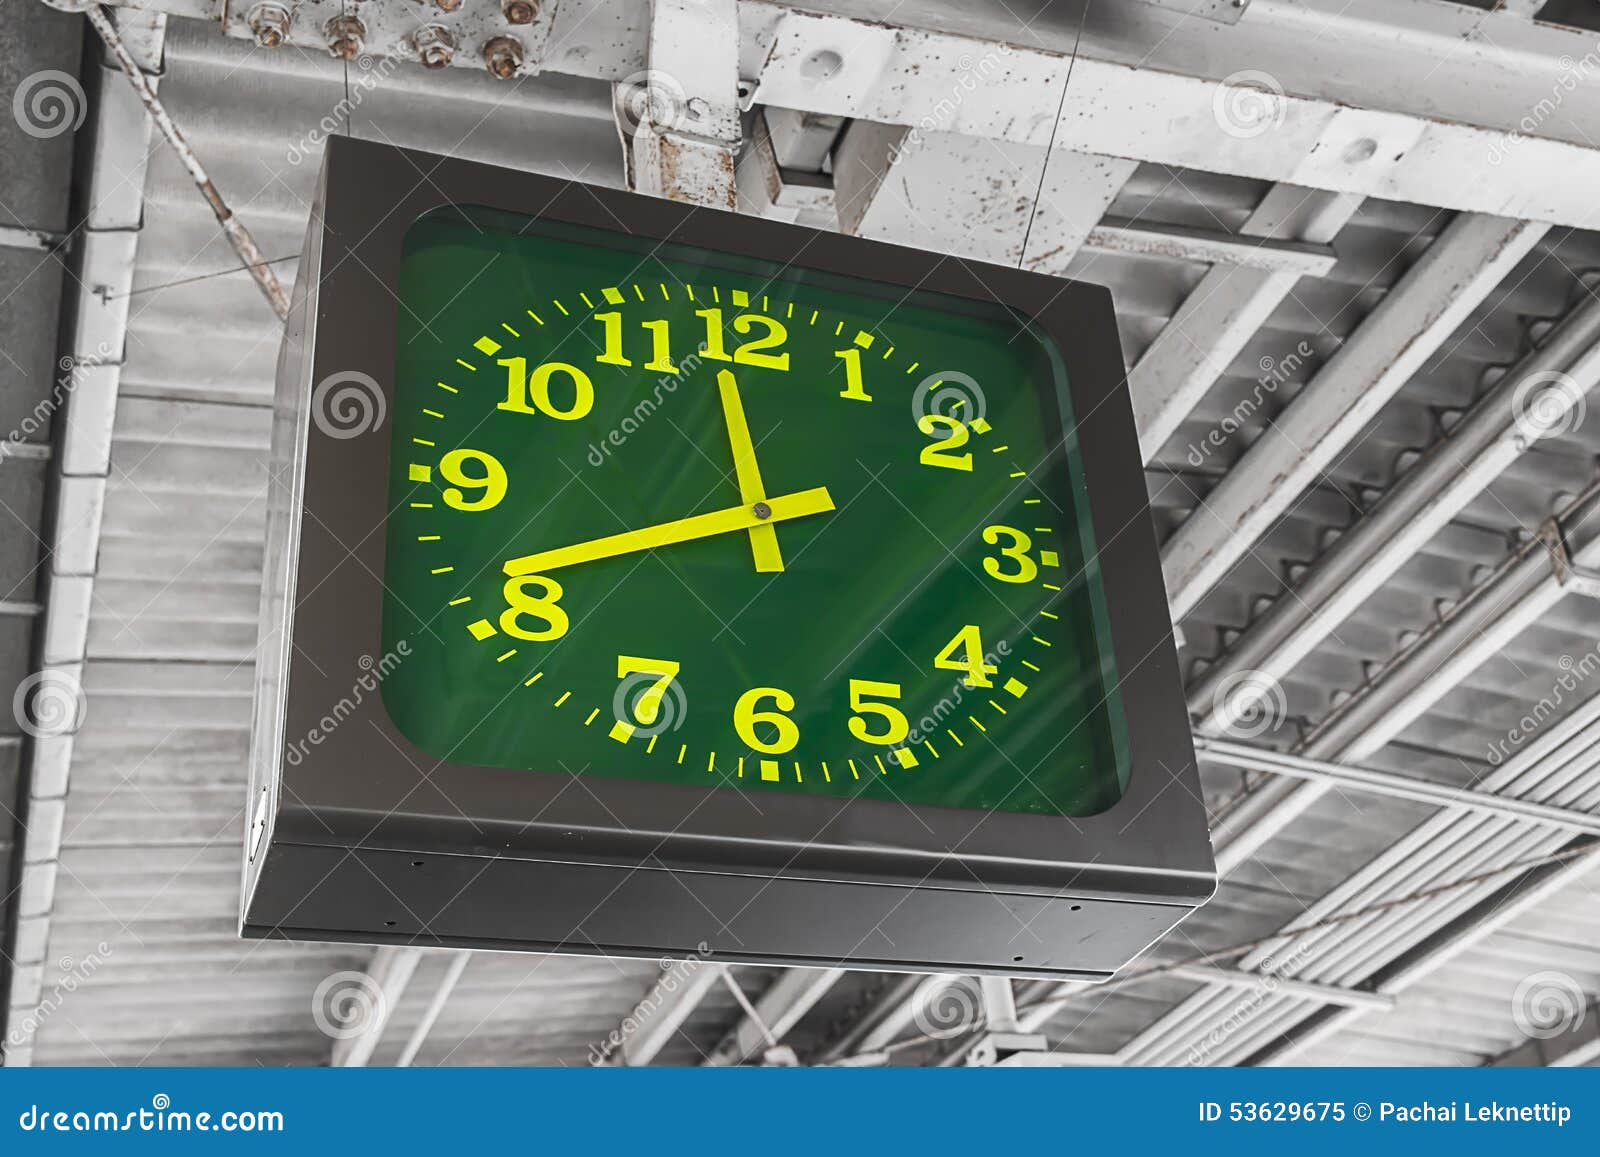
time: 11:41
